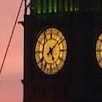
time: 5:08
